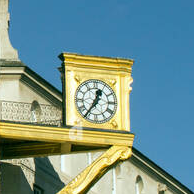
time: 12:35
